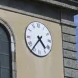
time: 4:36
